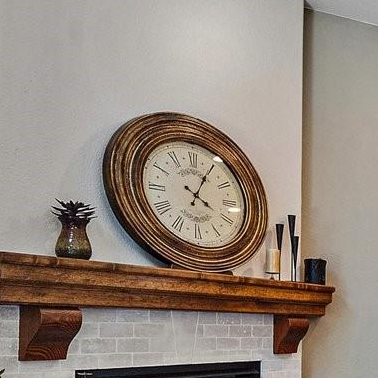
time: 4:04
